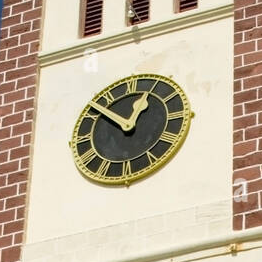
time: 12:52
